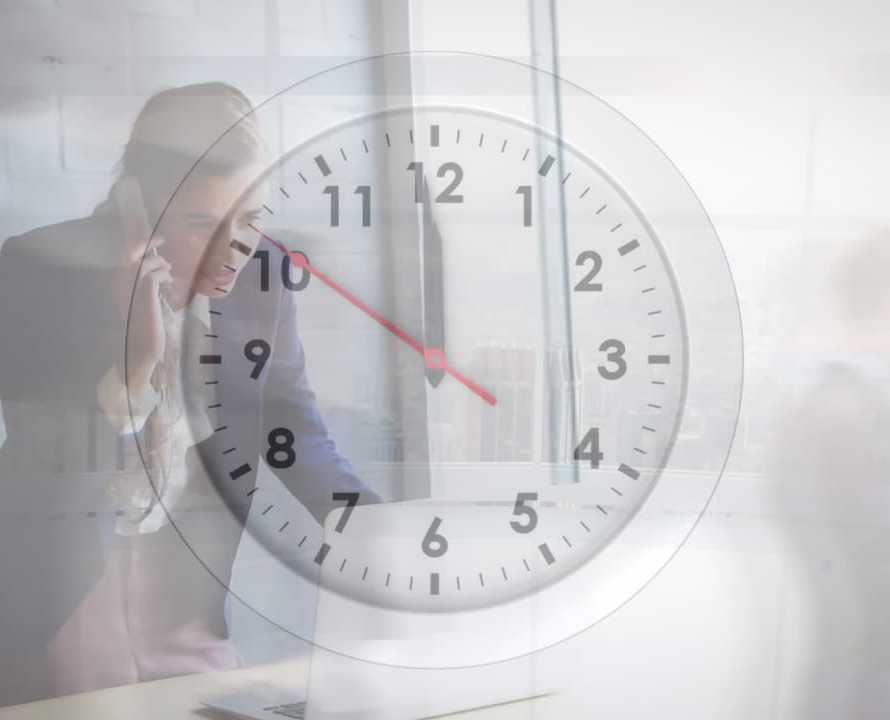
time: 5:59
